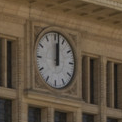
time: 12:01
